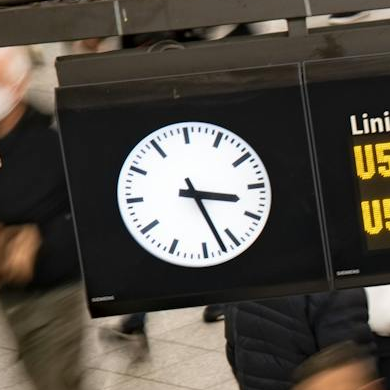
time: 3:26
